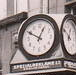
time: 12:49
